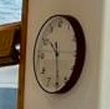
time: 10:28
